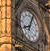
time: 8:04
